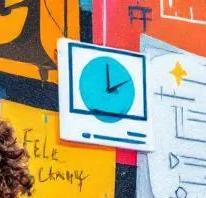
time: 2:00
